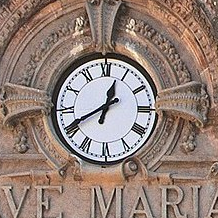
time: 12:40
